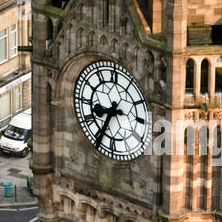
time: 8:34
